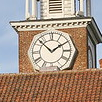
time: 1:52
